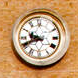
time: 9:41
